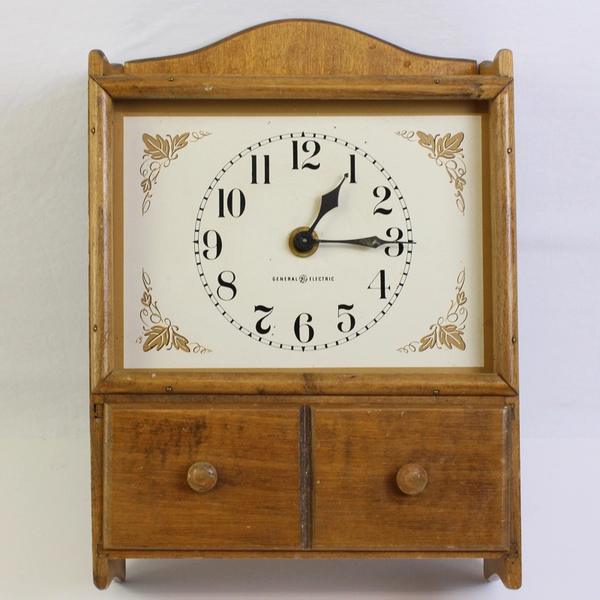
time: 1:14
